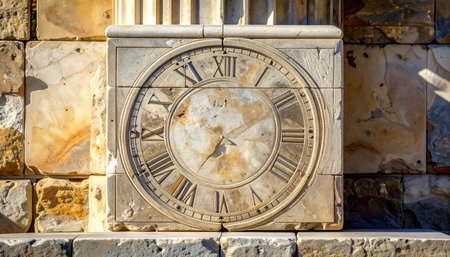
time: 7:10
